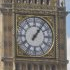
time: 1:06
